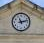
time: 11:12
